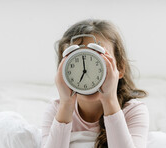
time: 6:59
